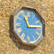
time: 11:13
